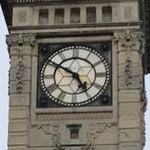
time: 4:50
